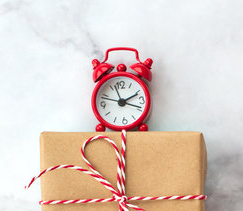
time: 2:18
